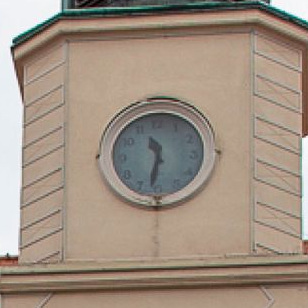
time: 11:32
